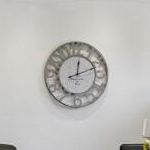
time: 12:11
